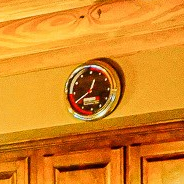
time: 12:39
